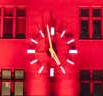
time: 4:58
